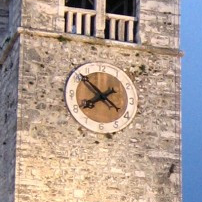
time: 7:52
